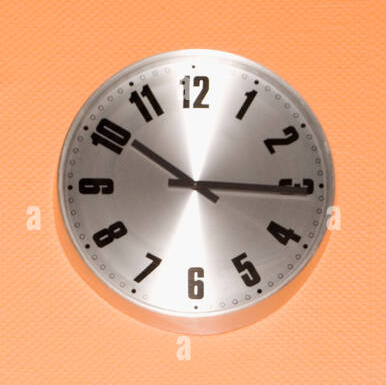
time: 10:15
